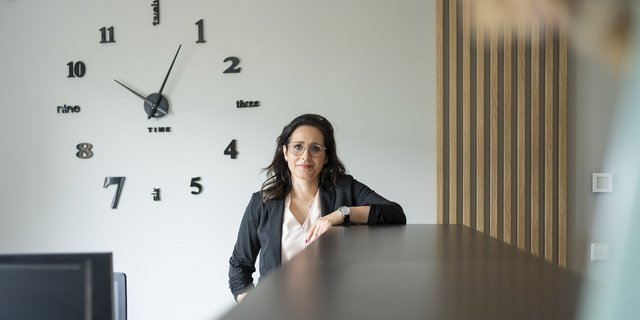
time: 10:03
